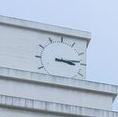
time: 3:13
